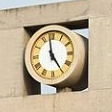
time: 4:58
